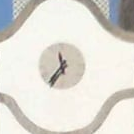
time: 11:36
